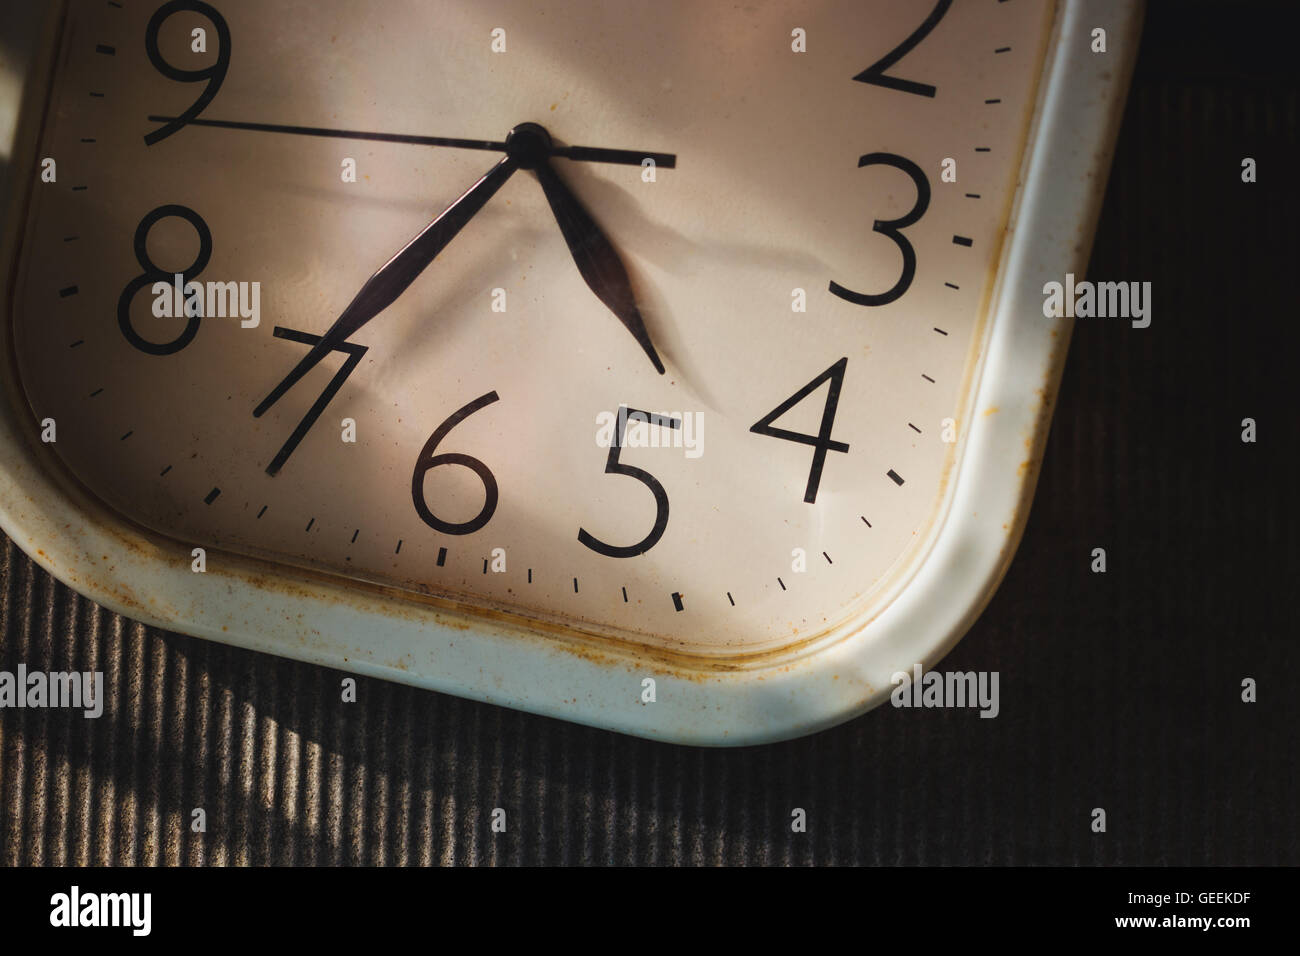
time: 4:35
